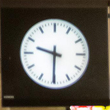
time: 9:30
